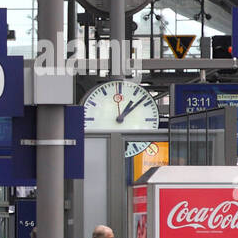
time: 1:08
